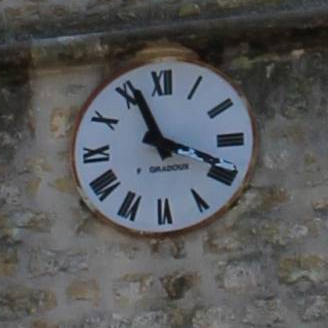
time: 11:18
